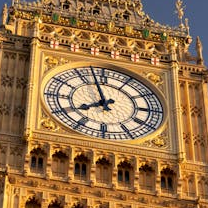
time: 7:57
